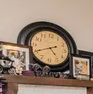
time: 4:40
